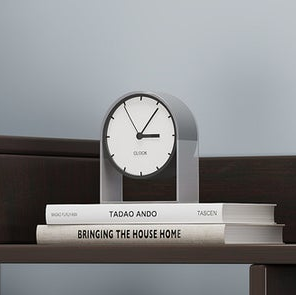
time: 3:05
